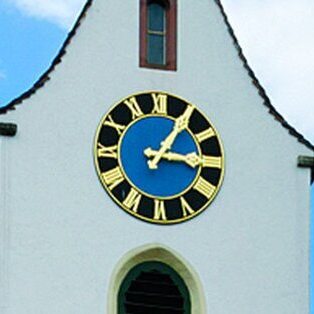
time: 3:05
